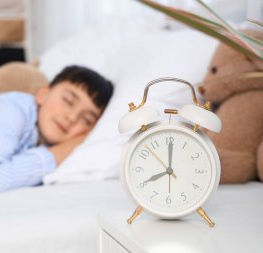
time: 8:00
